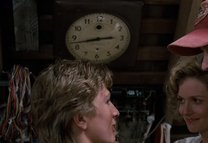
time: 2:42
